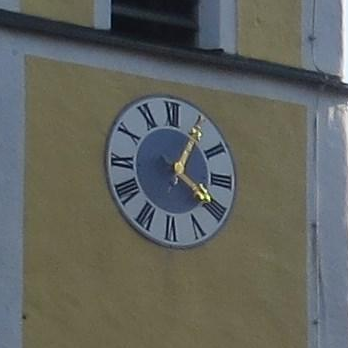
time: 4:05
